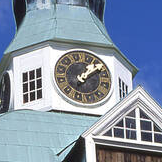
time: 1:08
